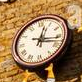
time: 12:16
